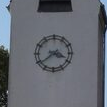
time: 3:38
